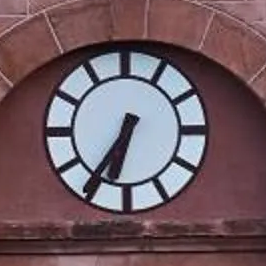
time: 6:35
